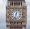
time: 12:32
